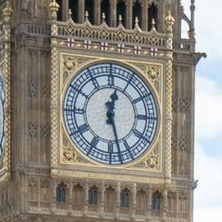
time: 12:27
